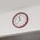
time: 11:37
